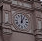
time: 12:05
